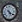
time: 5:21
